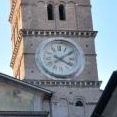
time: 4:09
